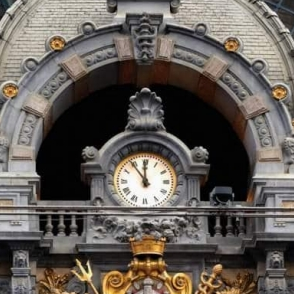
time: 11:53
